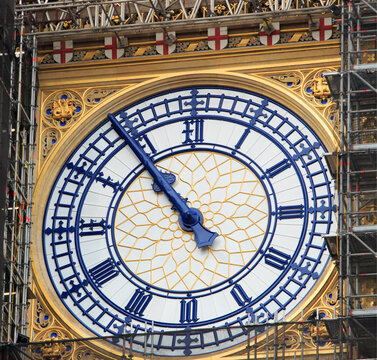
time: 10:54
